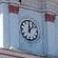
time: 12:07
